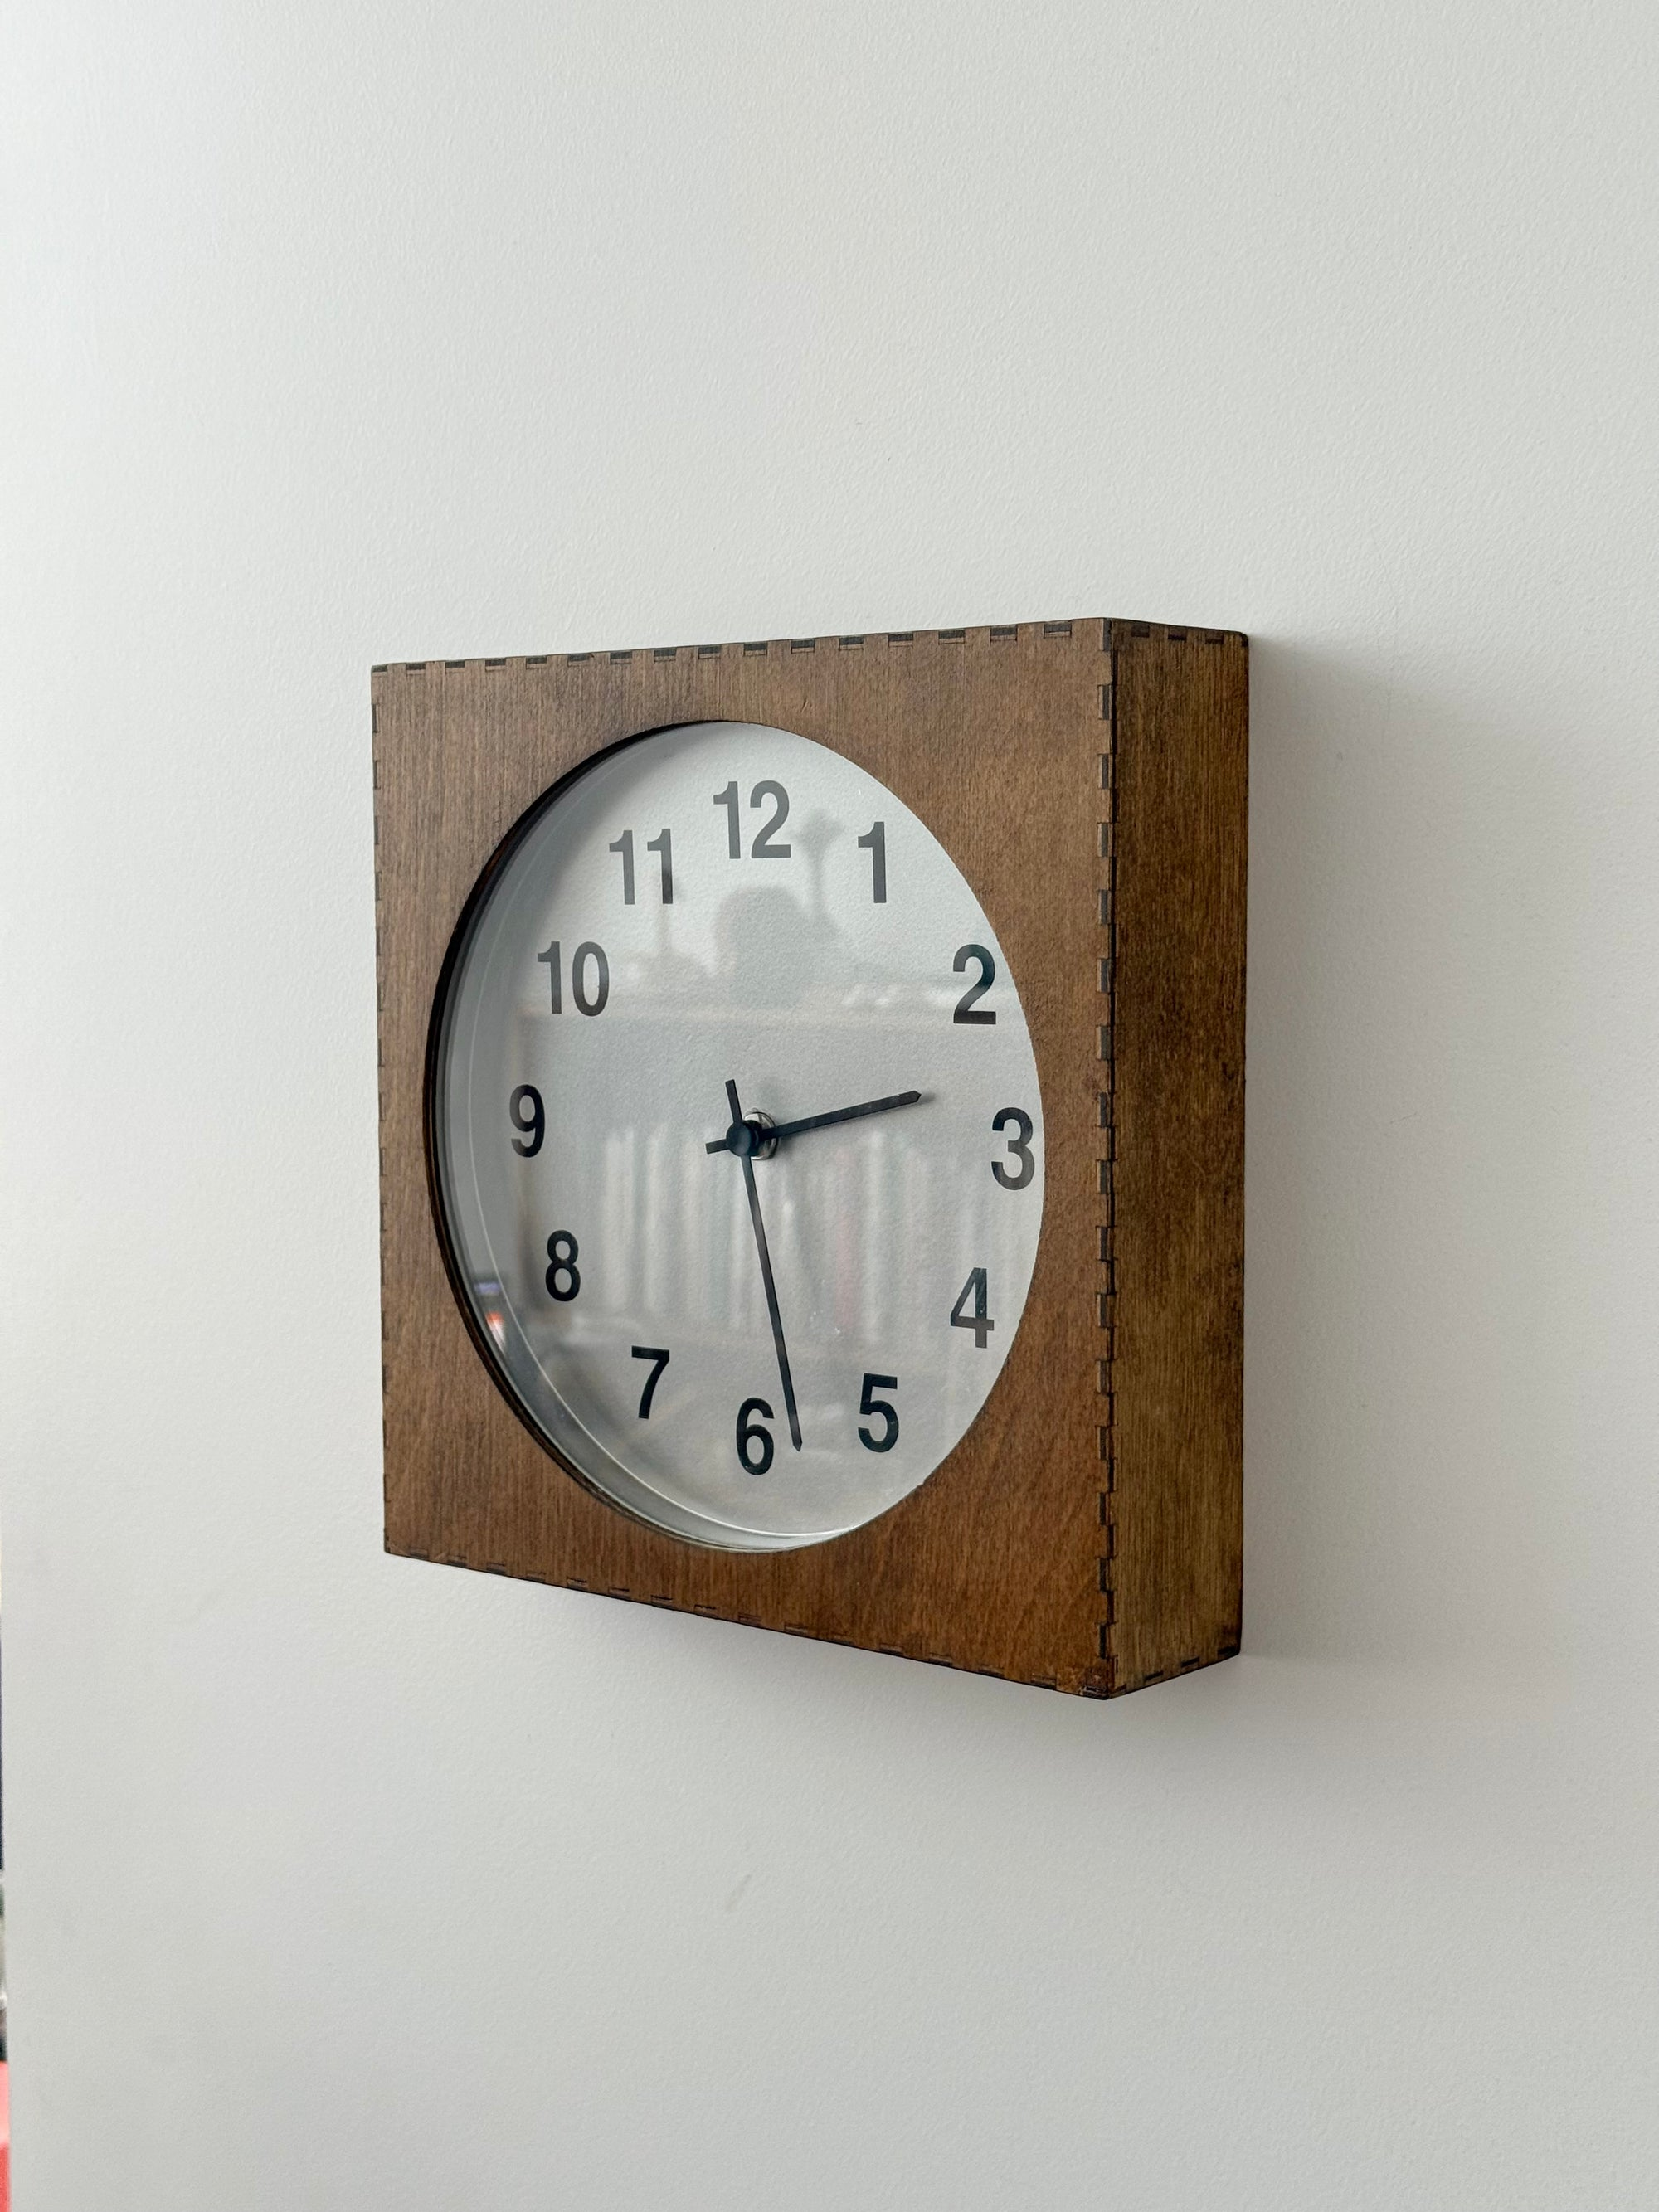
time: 2:28
